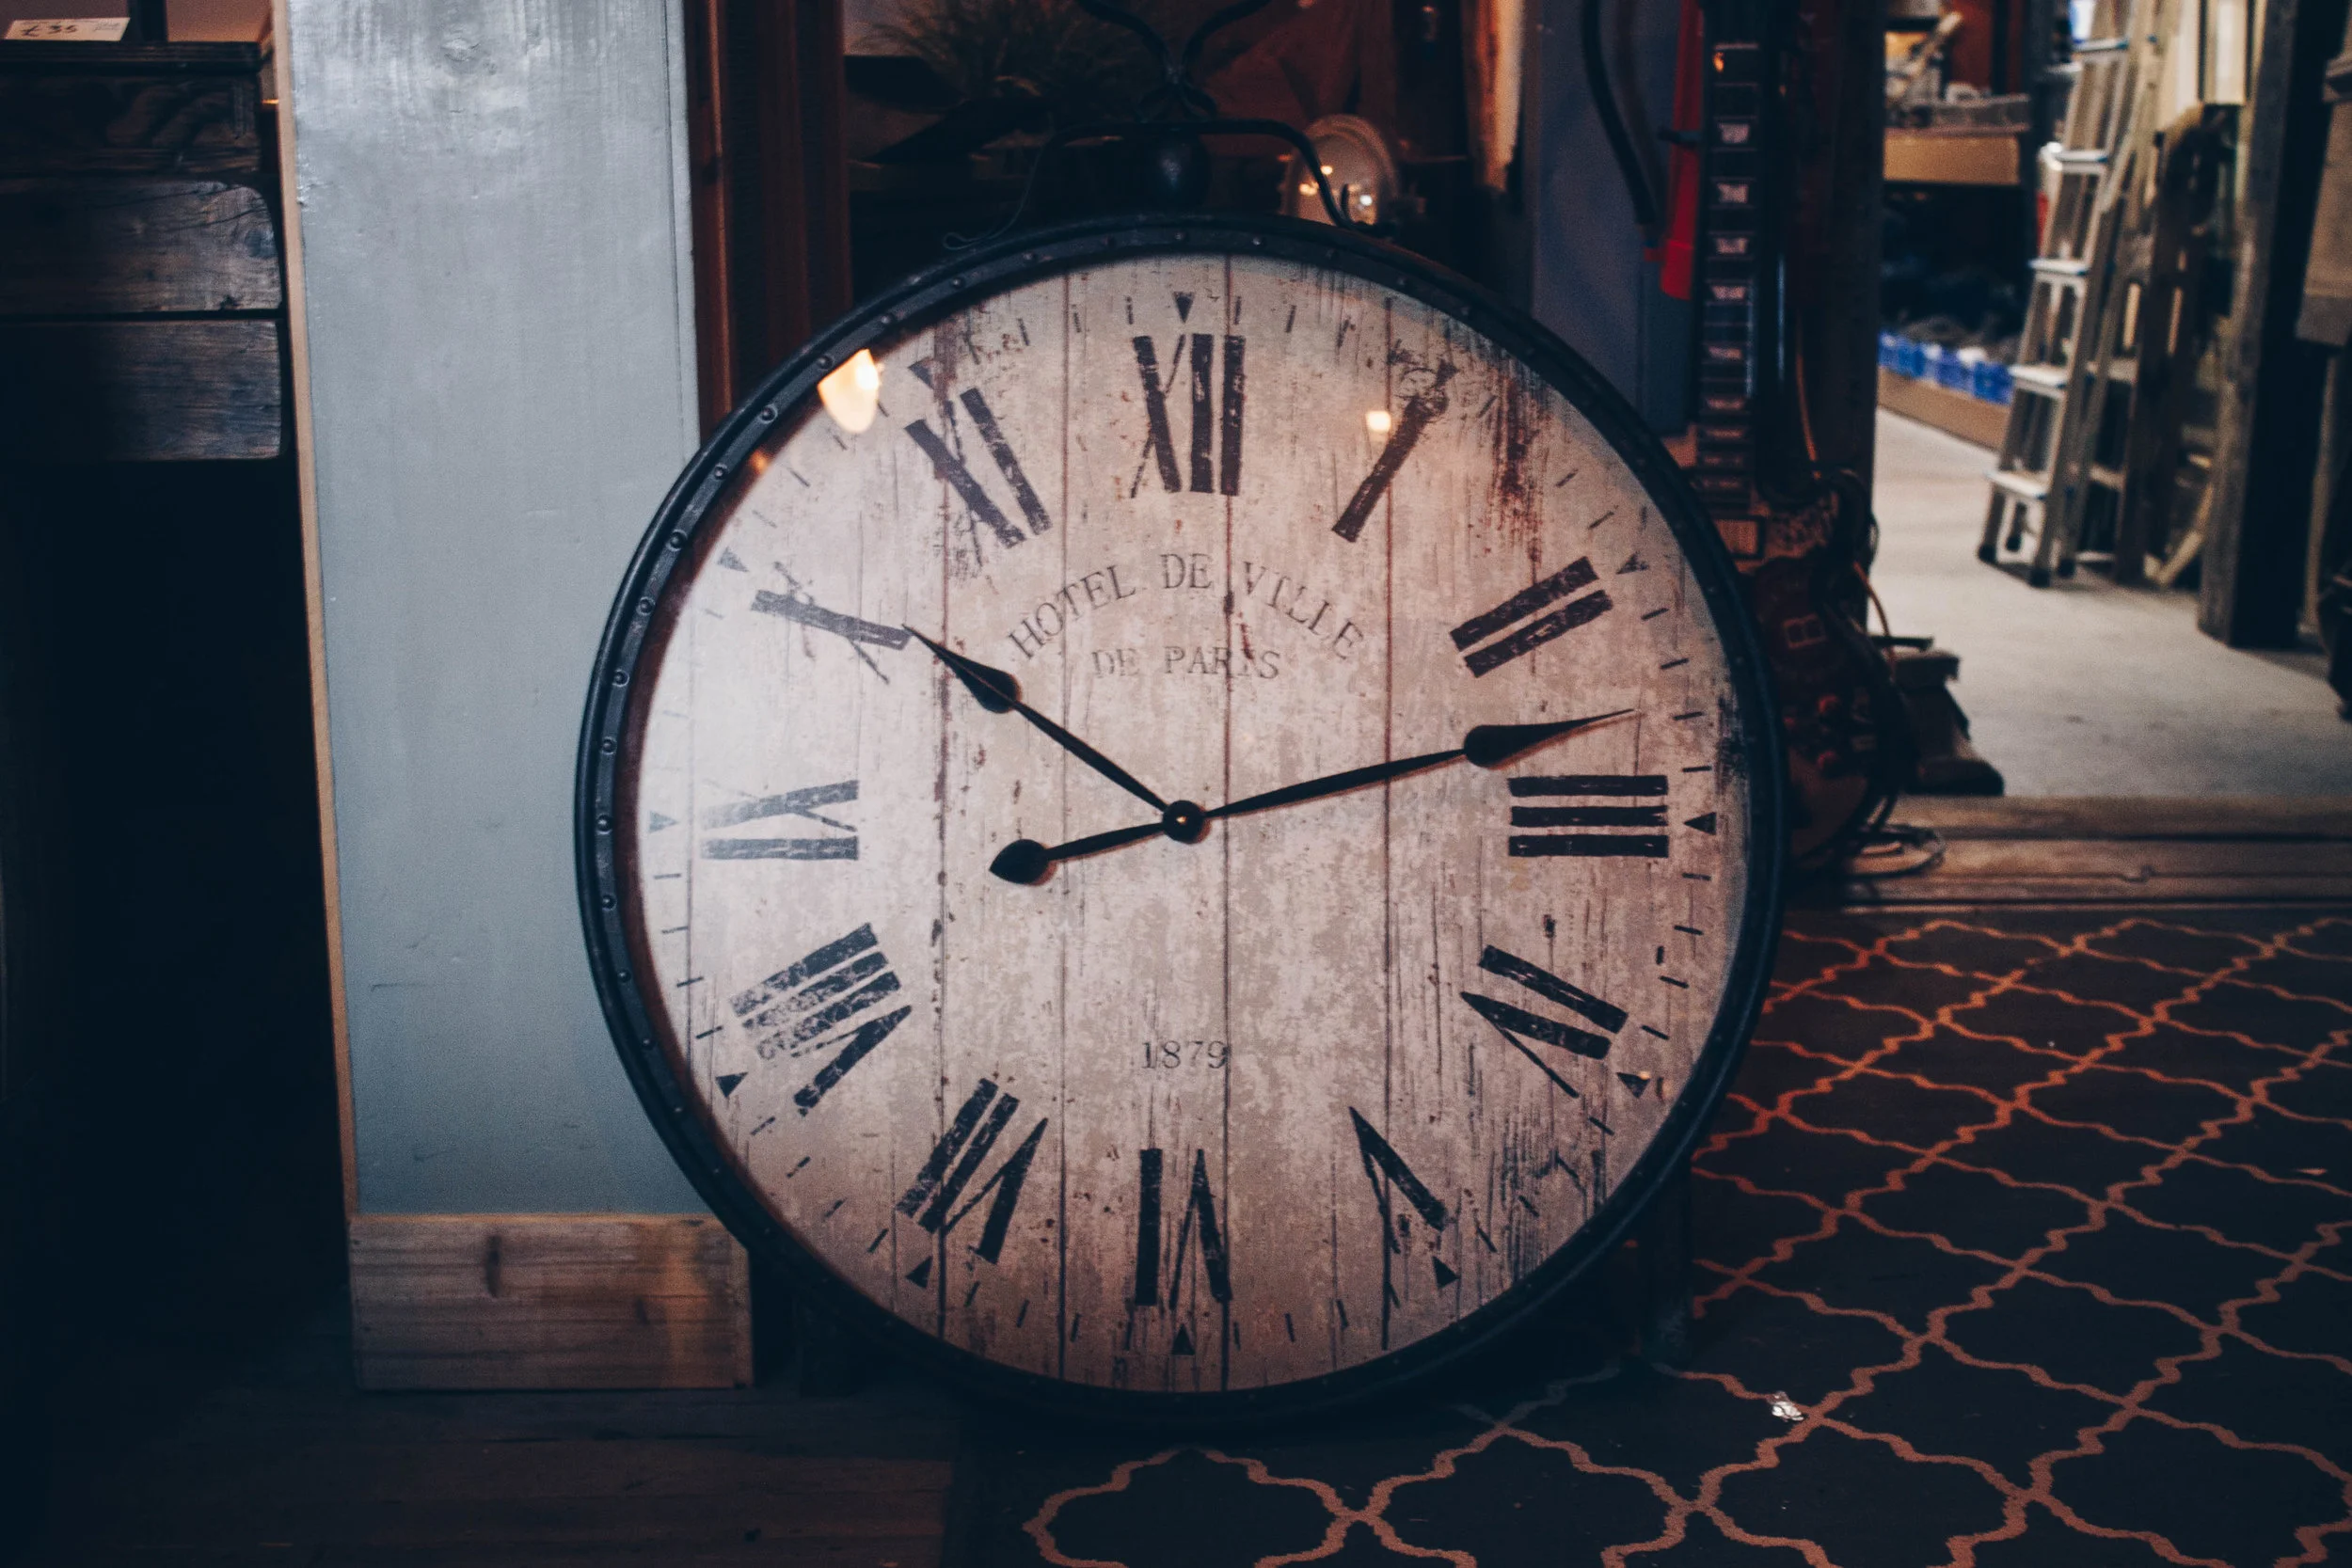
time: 10:12
